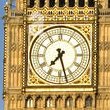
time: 7:27
